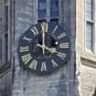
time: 4:00
